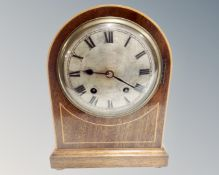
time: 9:20
